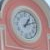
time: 1:11
